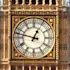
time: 12:47
